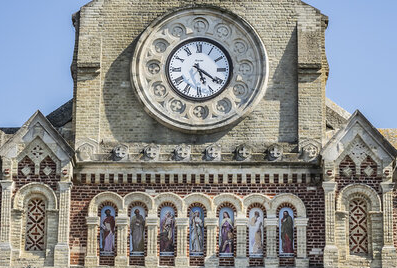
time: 5:20
